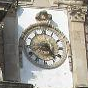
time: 4:42
